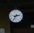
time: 2:35
